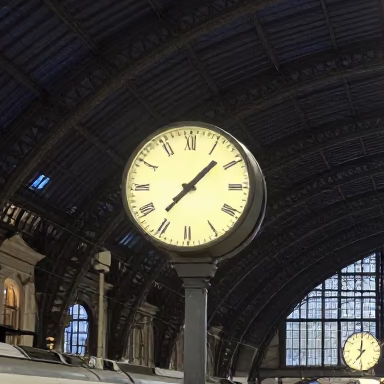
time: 1:37
